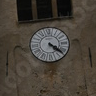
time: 4:22
